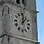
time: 12:07
